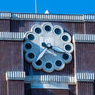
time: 7:18
